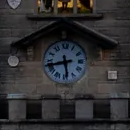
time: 5:42
